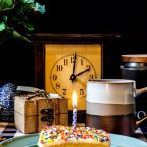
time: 2:01
